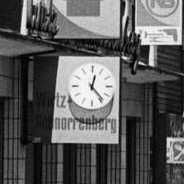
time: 12:23
